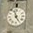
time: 4:57
